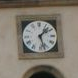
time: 1:27
